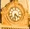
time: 4:31
